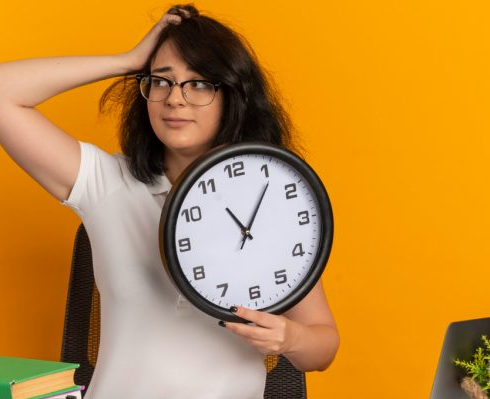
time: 11:05
